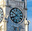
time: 7:49
